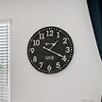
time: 1:19
